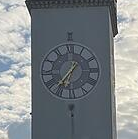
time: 6:36
